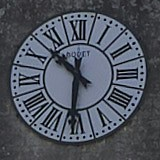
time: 10:31
